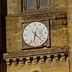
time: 6:22
